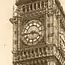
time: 3:43
